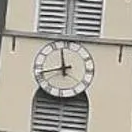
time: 11:42
